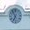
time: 6:54
